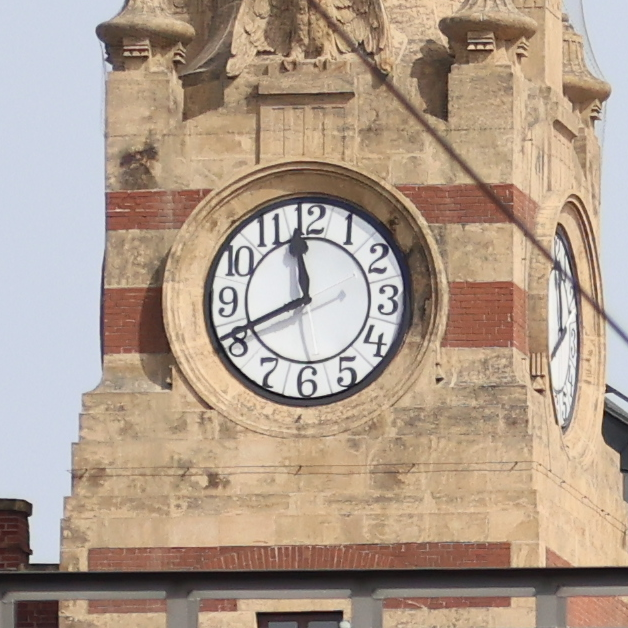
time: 11:41
